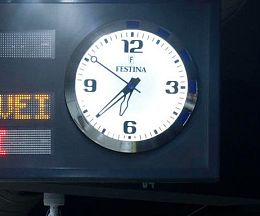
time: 6:37
